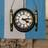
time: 4:13
